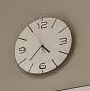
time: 4:37
